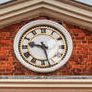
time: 9:27
